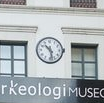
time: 10:28
